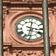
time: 3:32
